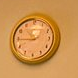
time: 10:44
